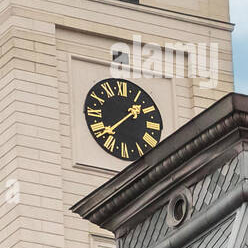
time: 1:38
